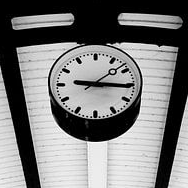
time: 9:15
